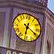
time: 6:20
